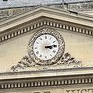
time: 3:13
